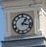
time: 1:17
